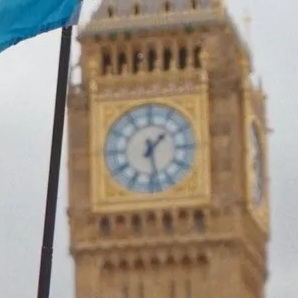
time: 1:28
